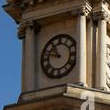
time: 10:47
